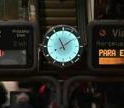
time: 11:09
